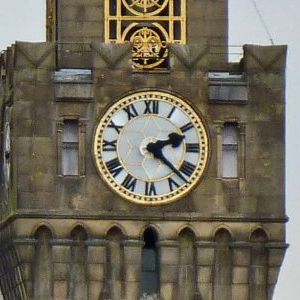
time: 2:22
